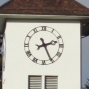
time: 2:25
